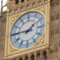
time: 1:45
